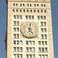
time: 5:01
